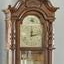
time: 12:12
